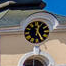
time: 12:24
